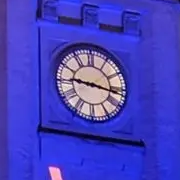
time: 9:16
